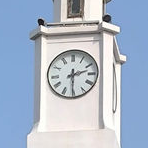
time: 2:30
